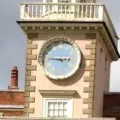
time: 2:45
